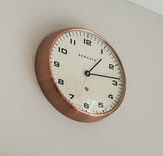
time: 1:13
